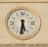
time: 5:31
